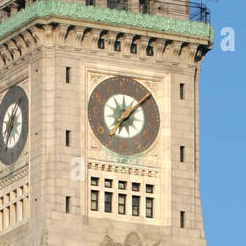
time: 12:08
